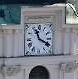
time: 11:19
